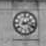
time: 2:18
